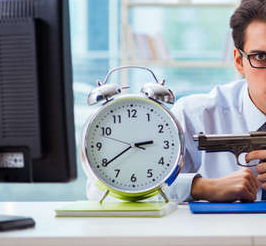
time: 2:39
